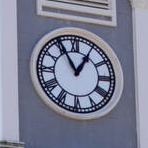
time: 12:55
